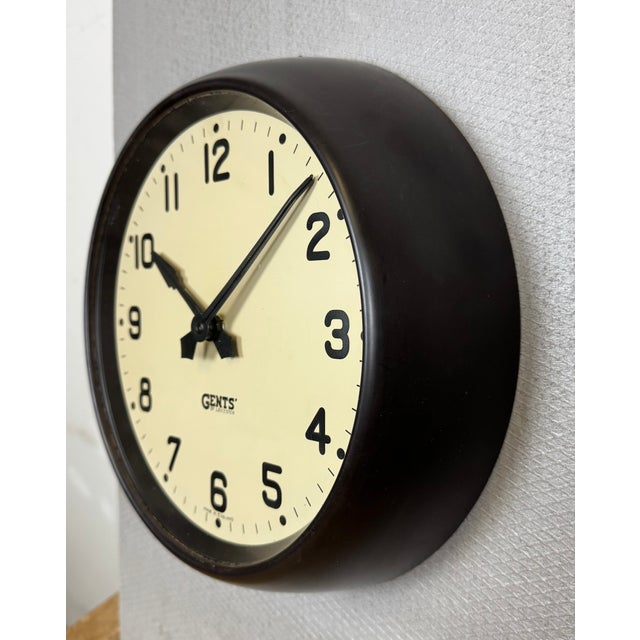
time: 10:07
